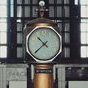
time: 10:37
